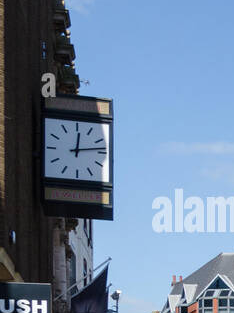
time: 12:13
